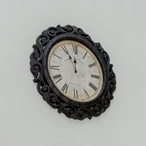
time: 11:55
